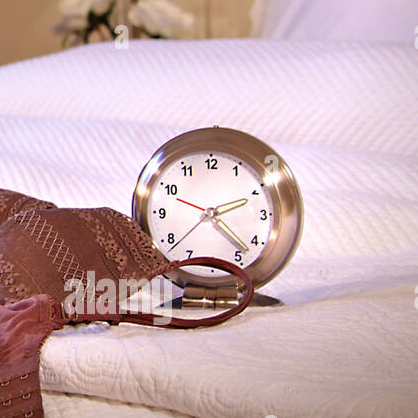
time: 2:22
